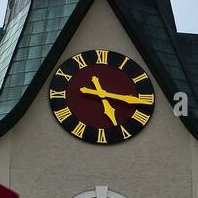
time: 5:16
